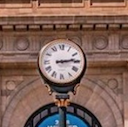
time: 3:13
